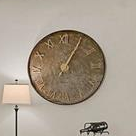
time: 1:05
